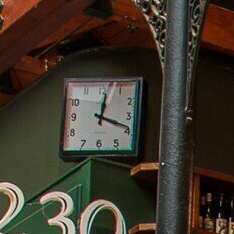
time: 12:18
